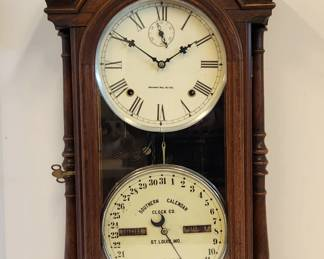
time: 1:50
